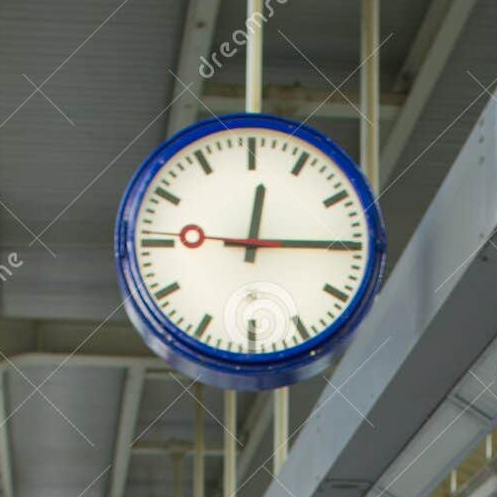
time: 12:14
